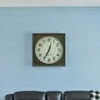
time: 12:34
